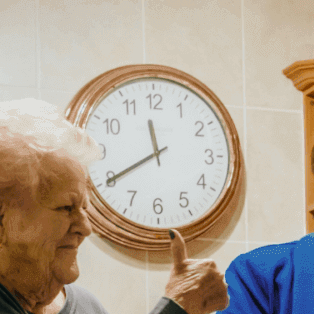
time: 11:39
